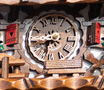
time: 8:32
